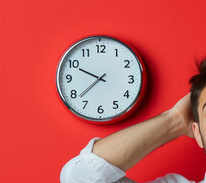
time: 9:38
